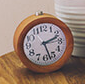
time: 2:27
